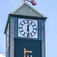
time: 12:28
